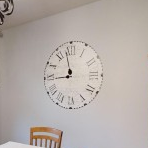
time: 8:58
